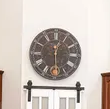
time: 12:28
